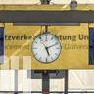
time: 5:11
